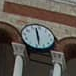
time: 11:28
